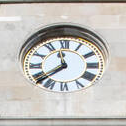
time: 11:38
